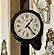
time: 1:23
